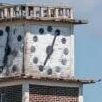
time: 7:04
